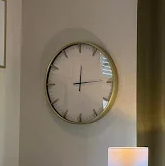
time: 12:14
